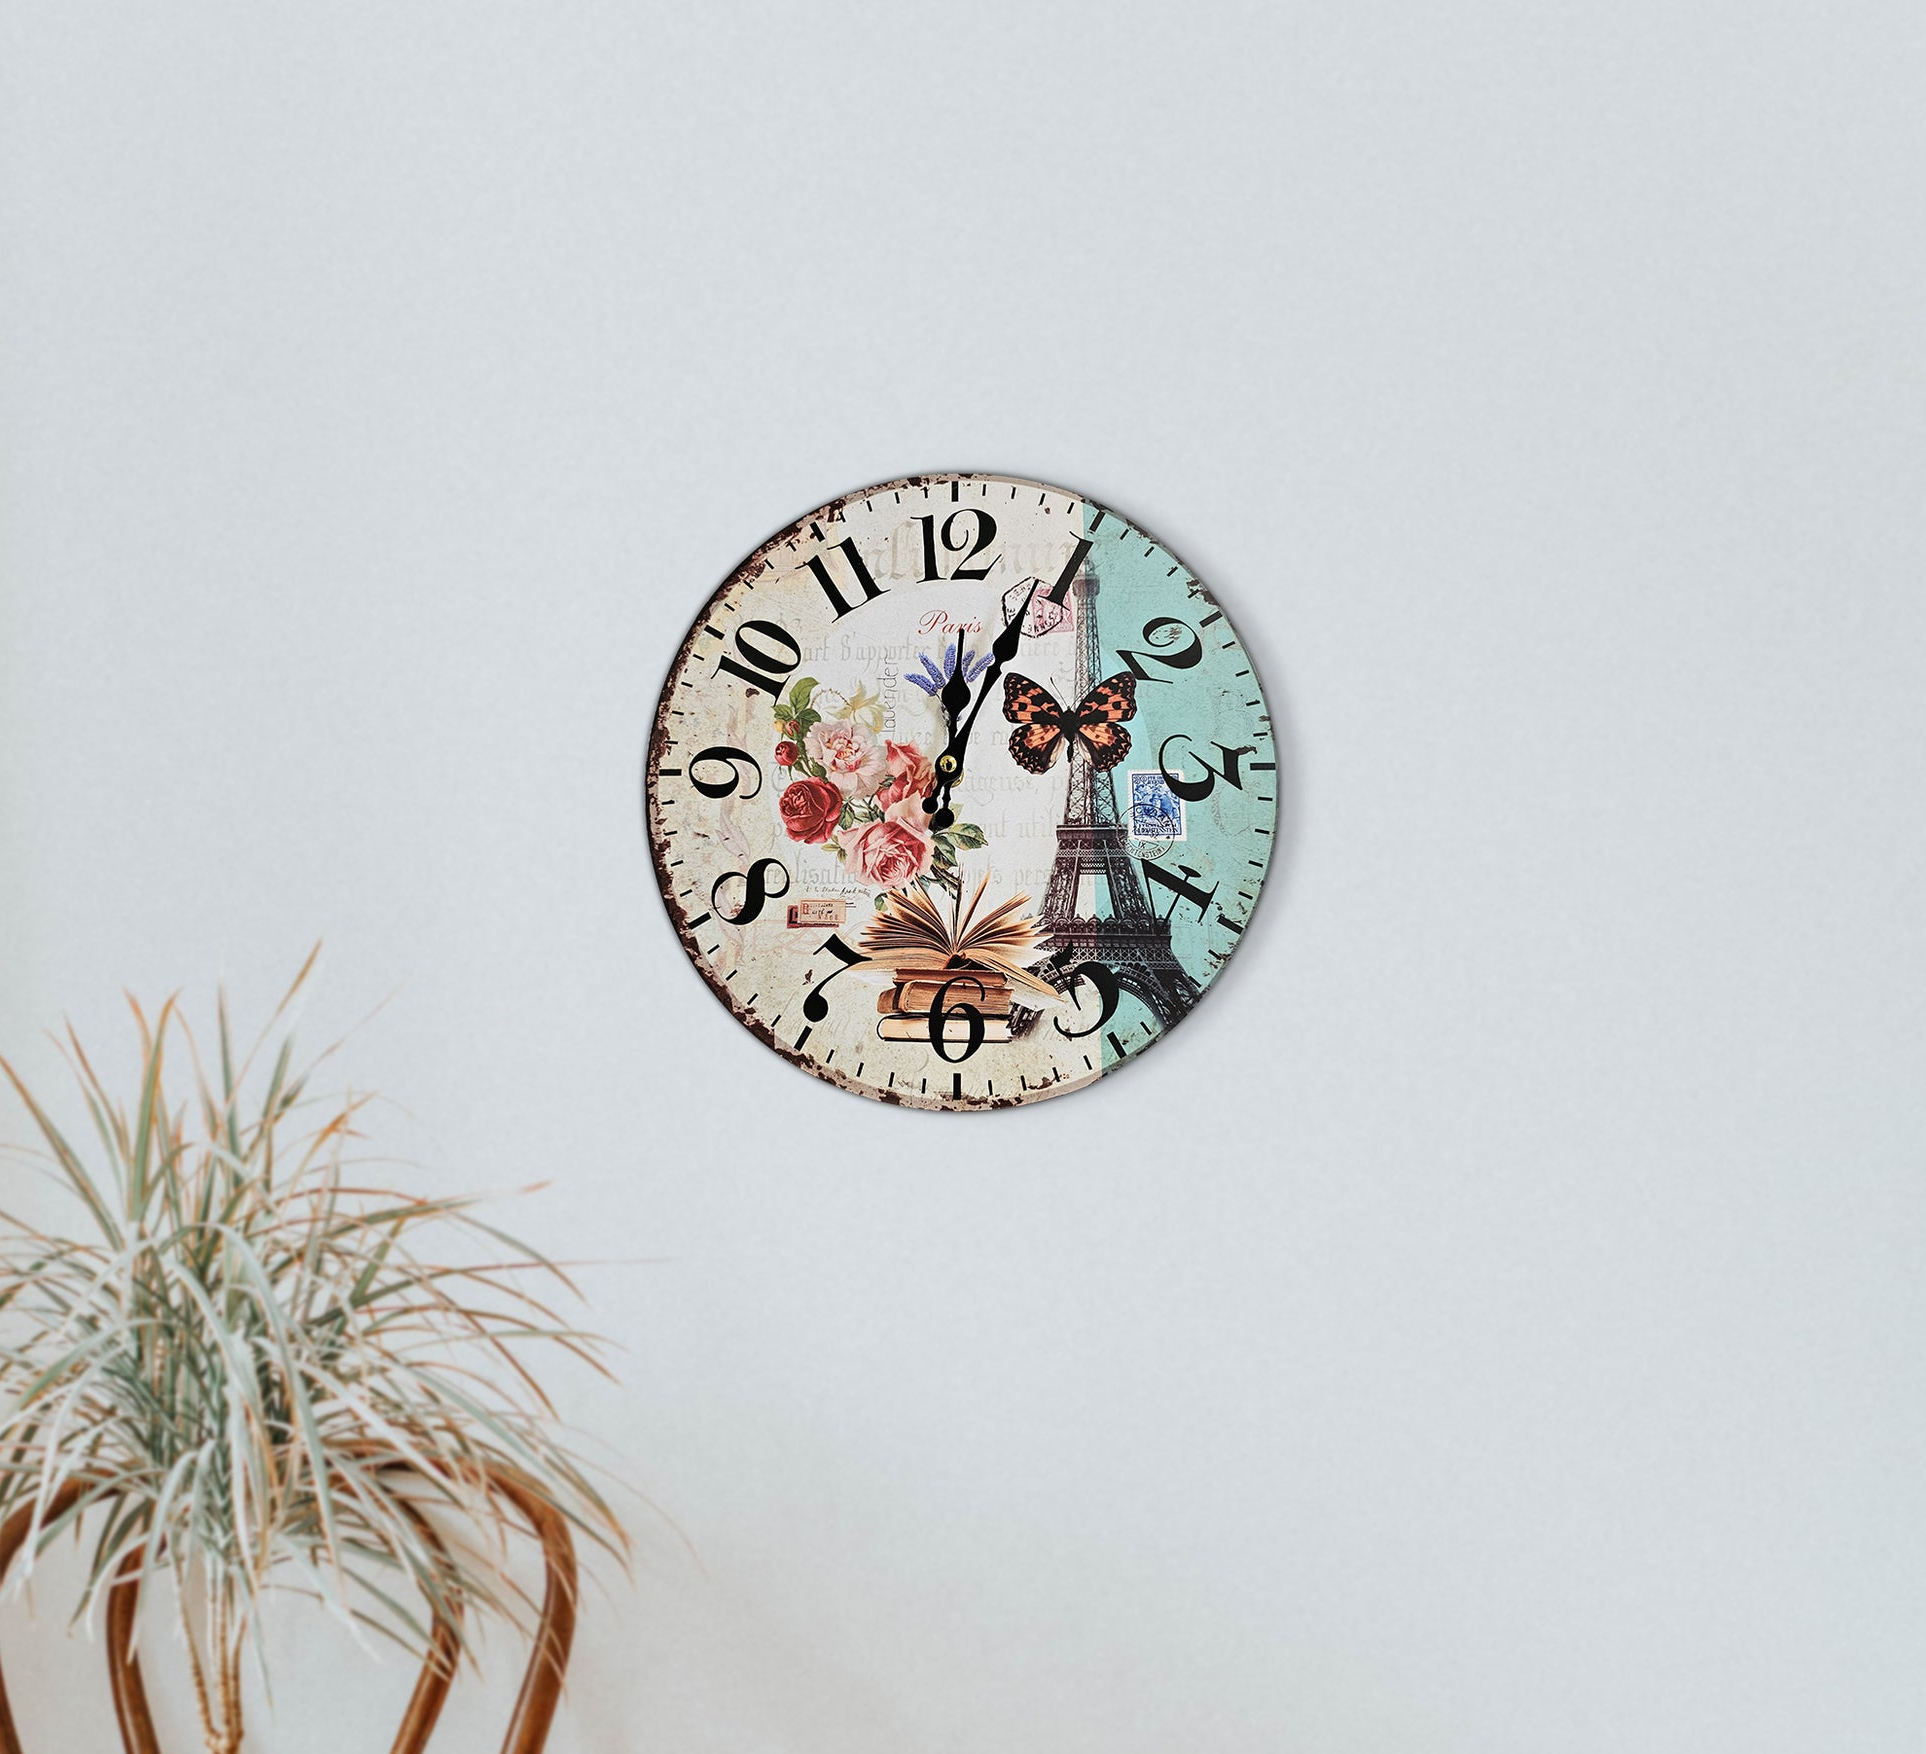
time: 12:04
